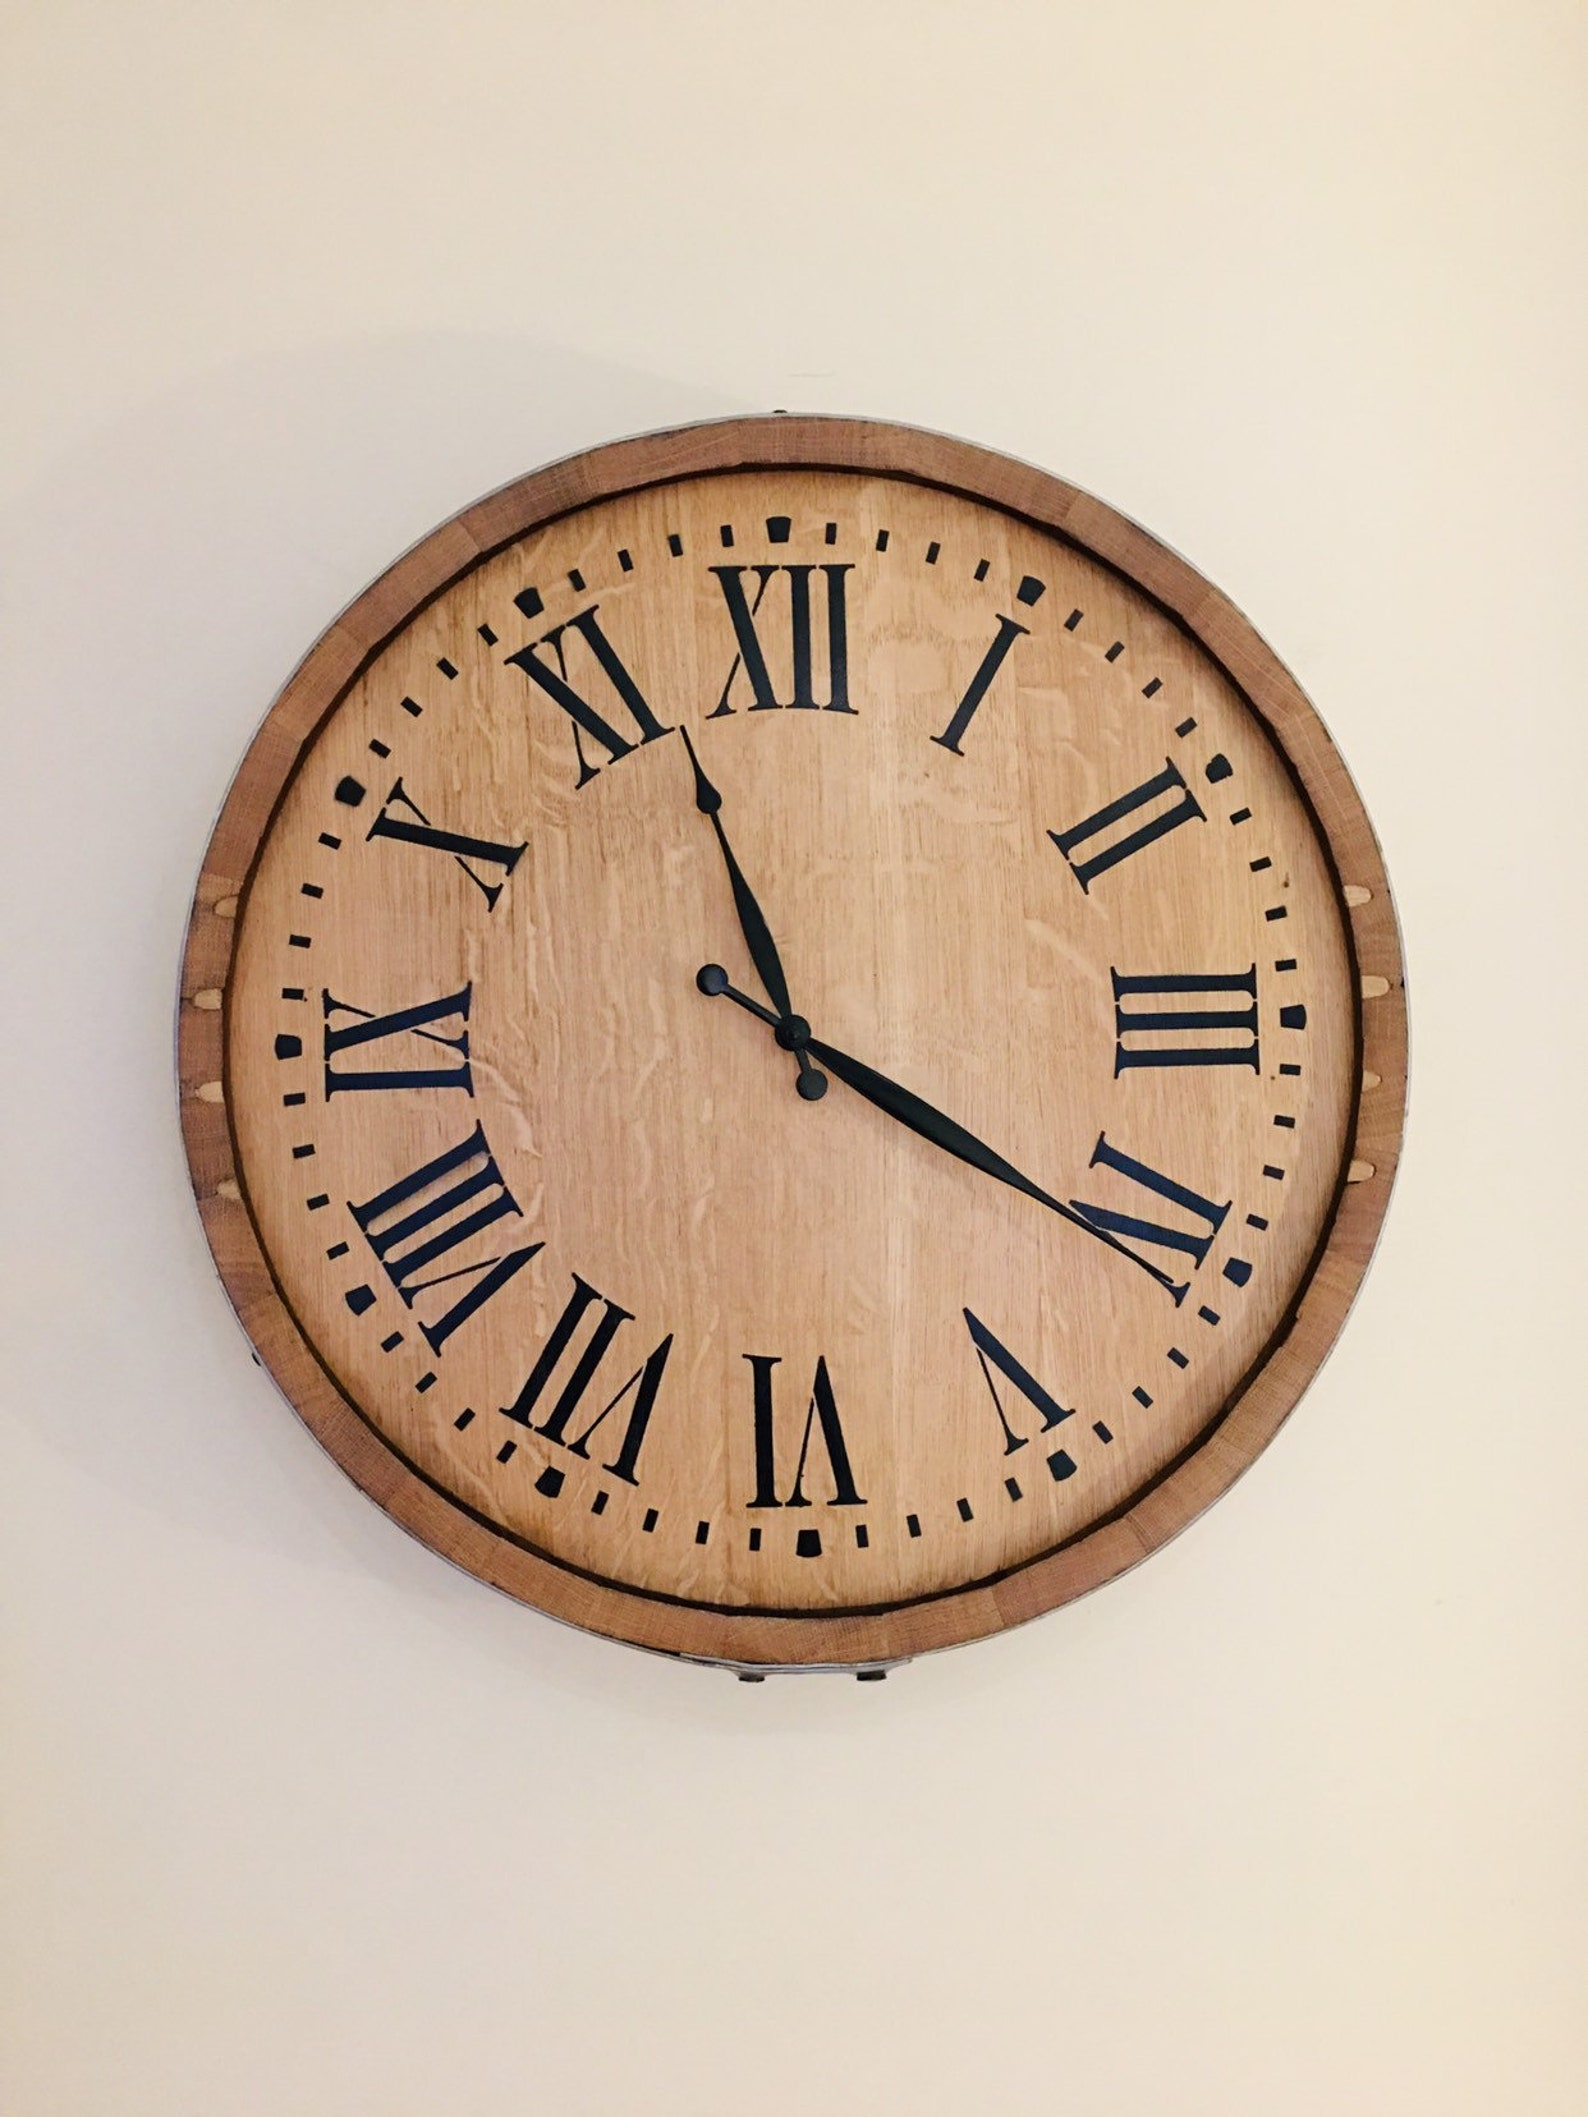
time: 11:20
